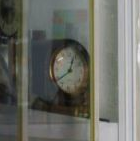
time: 12:39
